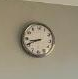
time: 8:40
